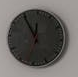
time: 11:54
